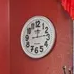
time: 12:13
